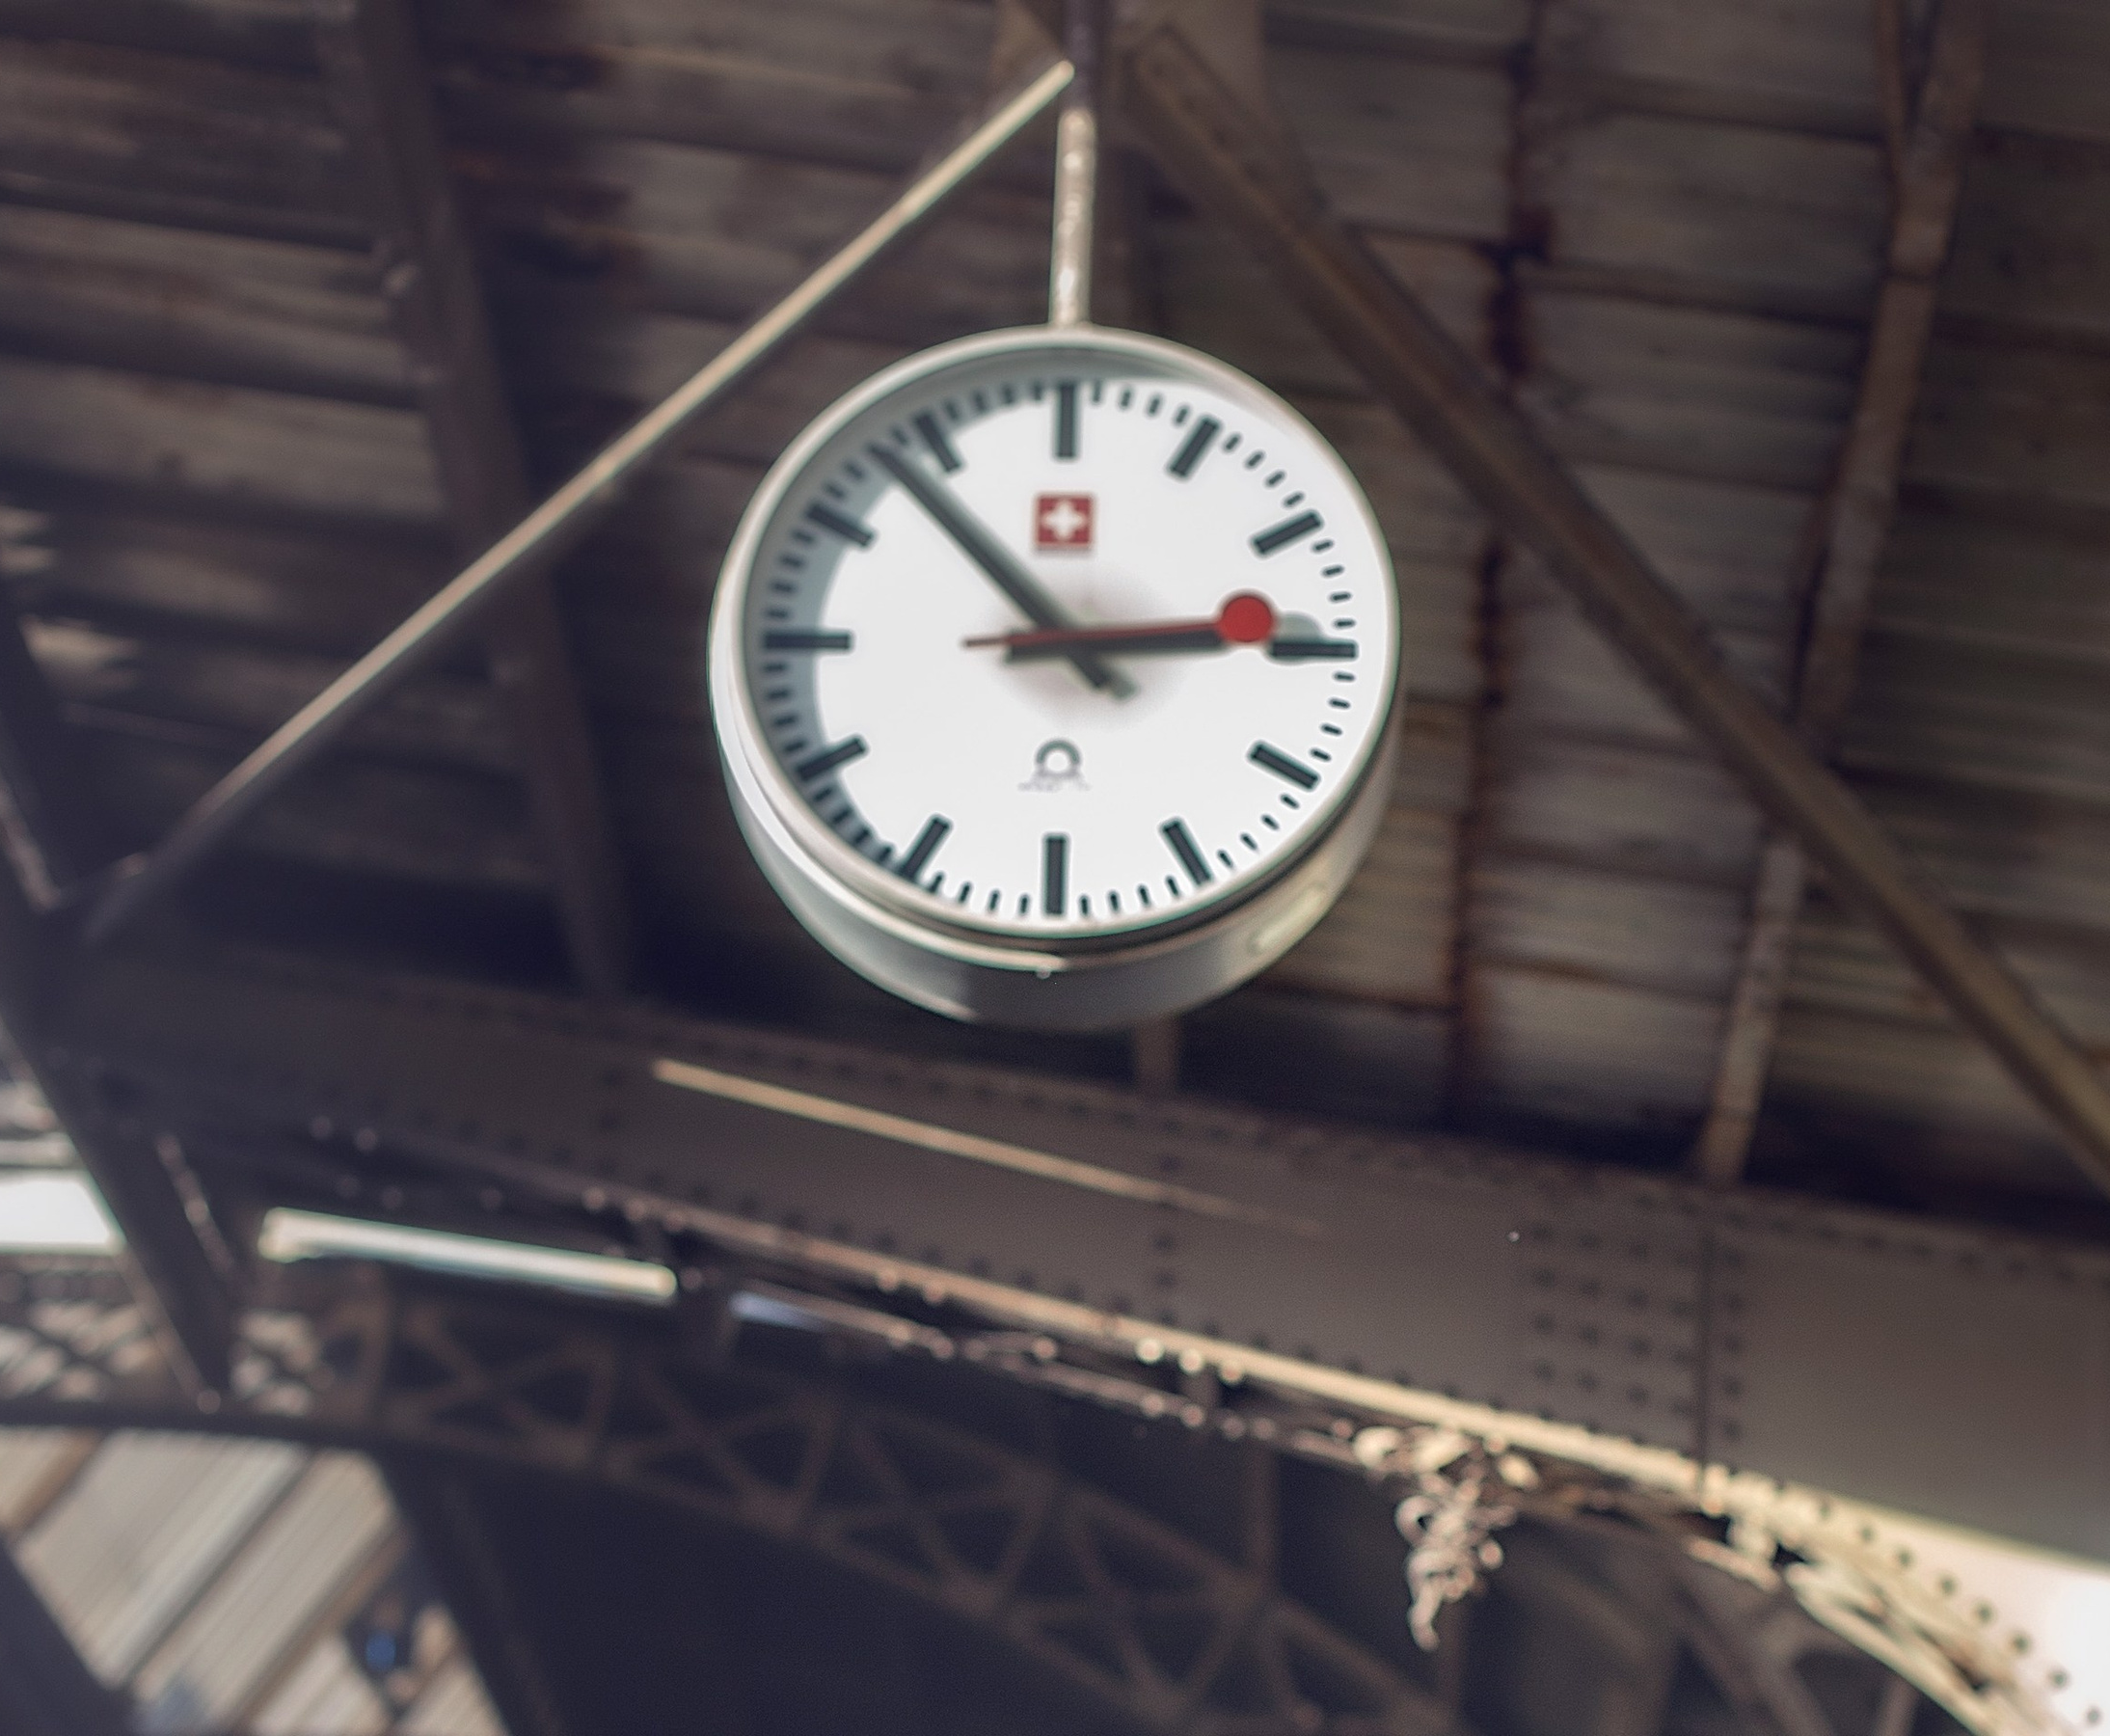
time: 2:53
